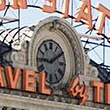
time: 9:10
